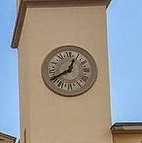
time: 12:40
